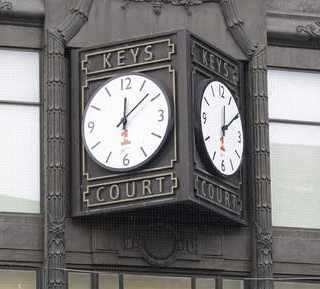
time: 12:07
